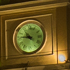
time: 10:45
